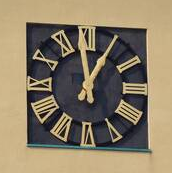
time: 12:58
